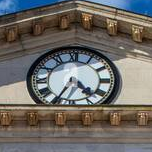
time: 4:34
